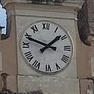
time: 1:48
